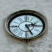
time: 2:25
